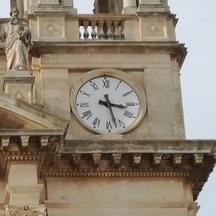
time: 3:27
